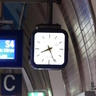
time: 8:25
